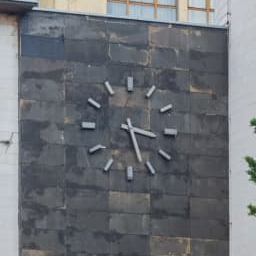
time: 3:27
